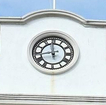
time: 11:43
